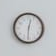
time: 12:30
